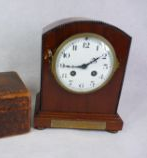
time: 9:09
